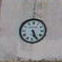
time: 5:25
